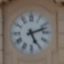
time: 5:12
